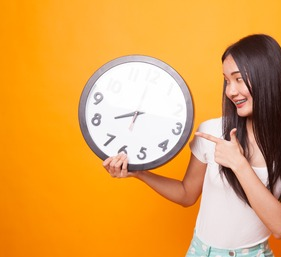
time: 7:59
